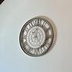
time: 12:24
